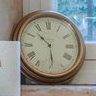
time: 10:28
